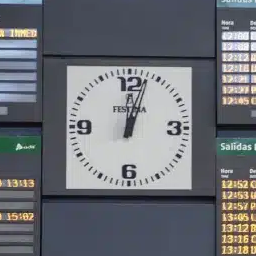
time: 12:03
